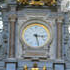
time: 3:27
